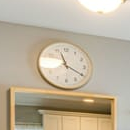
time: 11:19
